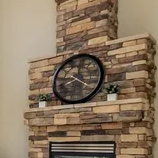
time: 8:20
